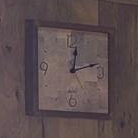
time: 12:12
